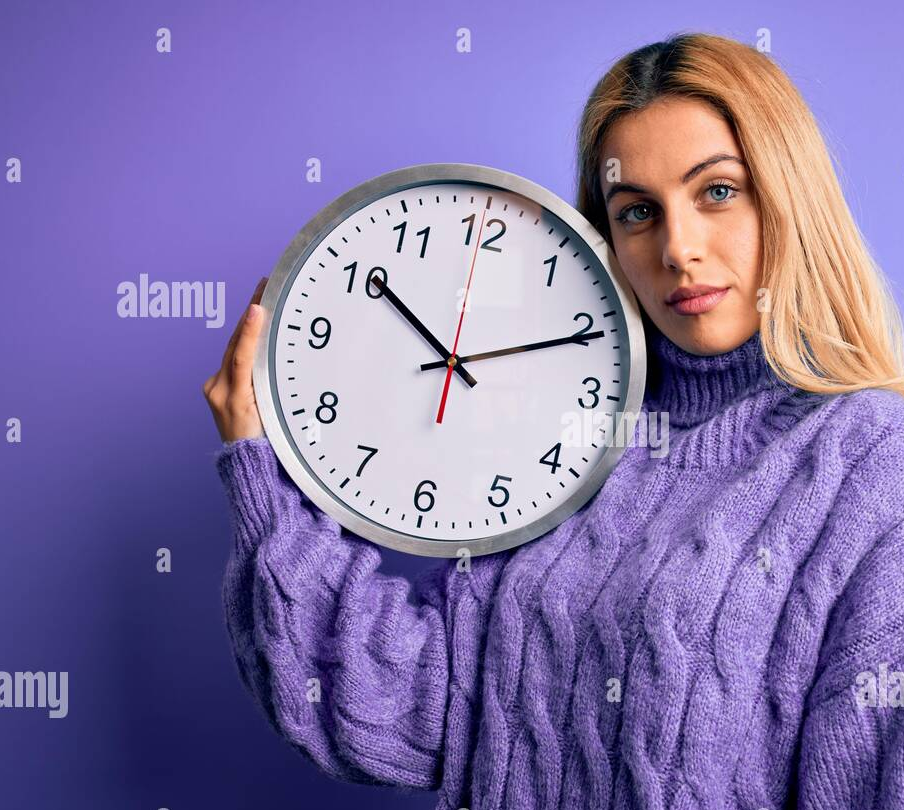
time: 10:10
